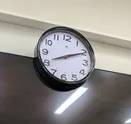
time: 8:10
